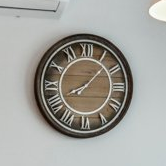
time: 8:07
